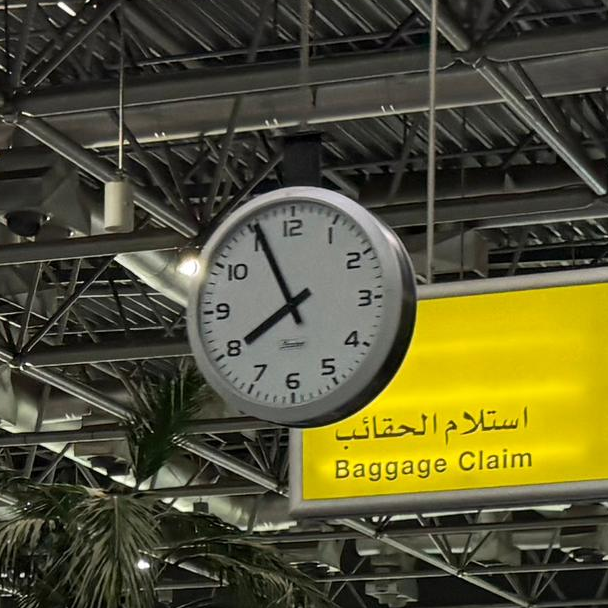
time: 7:55
